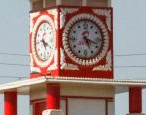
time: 5:18
